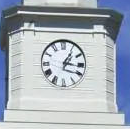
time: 1:16
